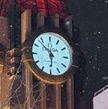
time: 5:52
